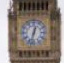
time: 12:32
